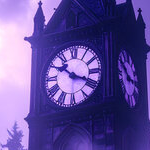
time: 10:18
